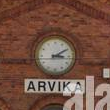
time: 3:09
